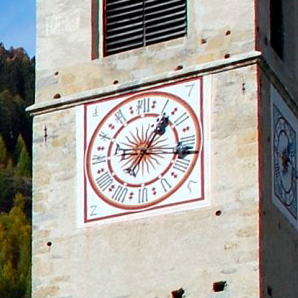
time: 1:16
